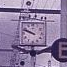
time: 9:48
